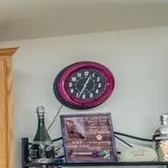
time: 12:32
